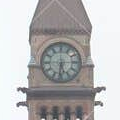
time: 5:31
